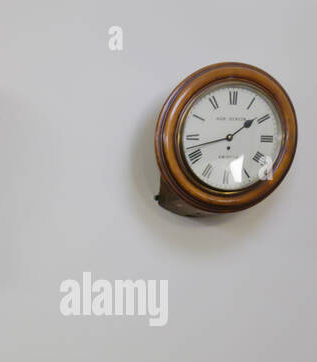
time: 1:42
